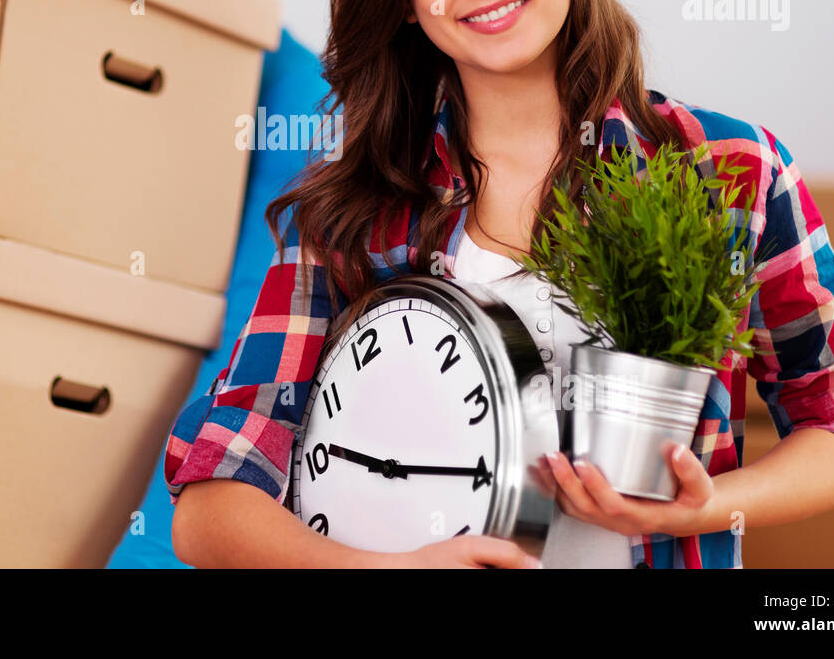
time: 10:19
